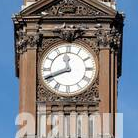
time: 11:41
